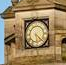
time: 5:21
